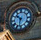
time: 10:32
